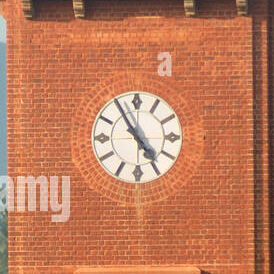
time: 4:54
